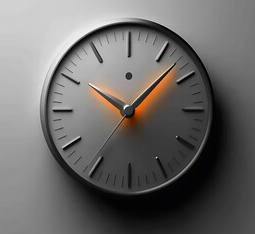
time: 10:07
